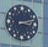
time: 3:12
